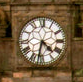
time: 4:32
